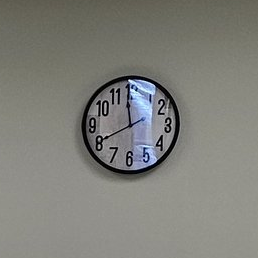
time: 7:58
